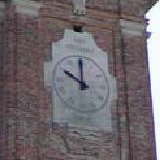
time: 11:49
